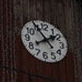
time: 1:54
